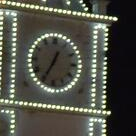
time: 12:34
